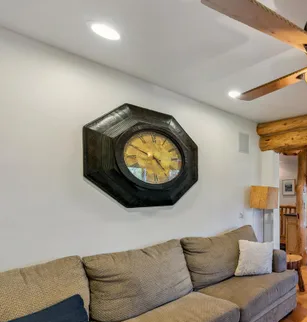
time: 4:49
